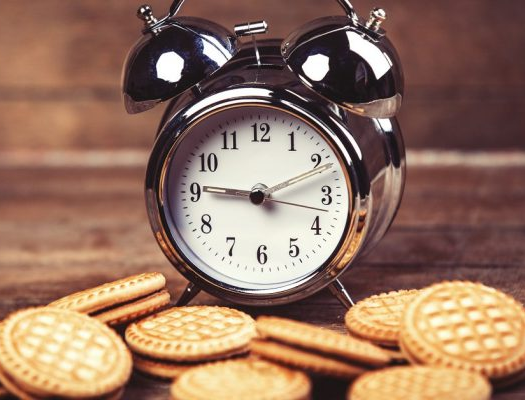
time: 9:11
